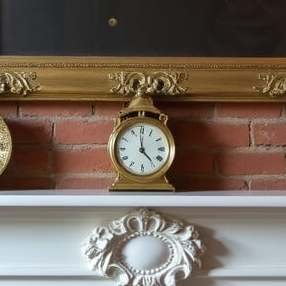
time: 4:59
